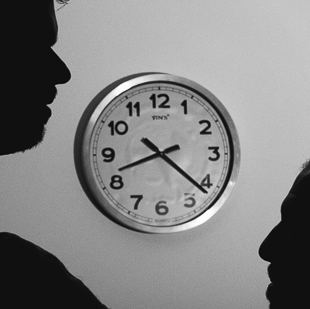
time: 8:21
